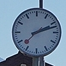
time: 2:12
